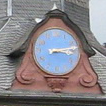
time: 3:13
